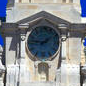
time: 1:46
